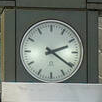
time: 2:20
